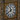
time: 11:39
